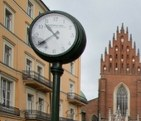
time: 10:38
